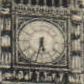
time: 5:32
